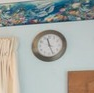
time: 11:26
